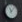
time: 11:07
